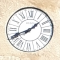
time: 1:41
